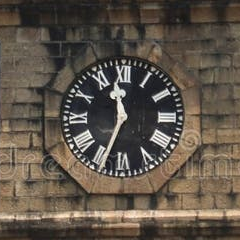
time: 11:33
